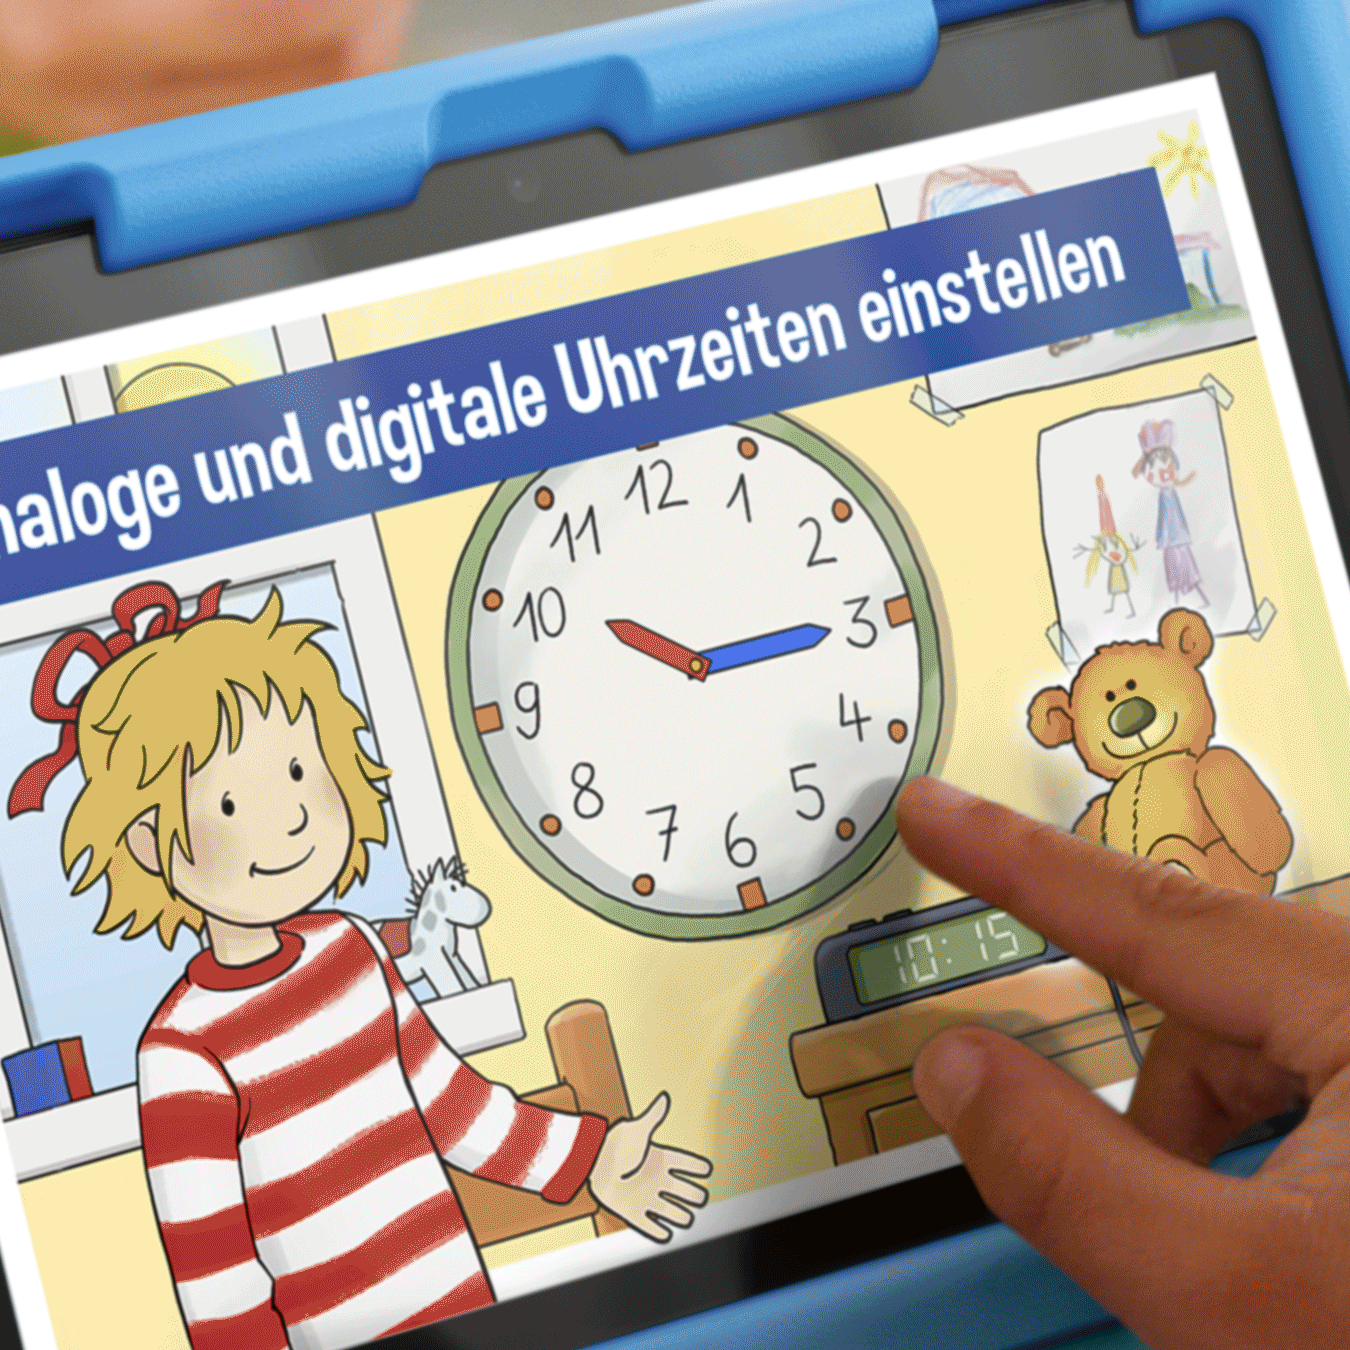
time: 10:14
